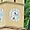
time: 4:33
